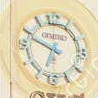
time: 6:48
